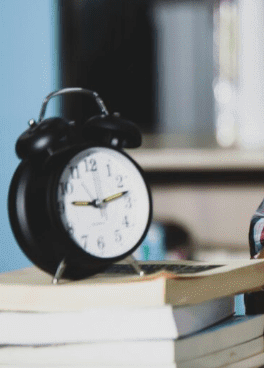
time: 9:12
